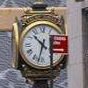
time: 10:32
